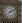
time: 1:09
